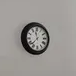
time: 11:37
